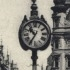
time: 10:35
